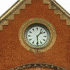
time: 1:29
